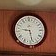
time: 9:27
